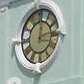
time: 12:13
